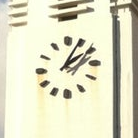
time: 2:04
